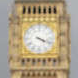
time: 4:18
